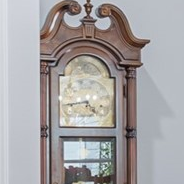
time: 4:42
